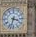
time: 3:32
